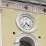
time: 4:35
